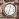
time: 12:32
